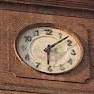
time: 6:07
